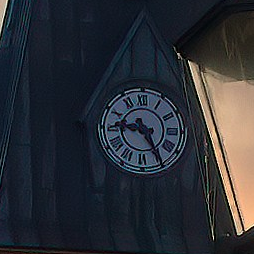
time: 9:25
